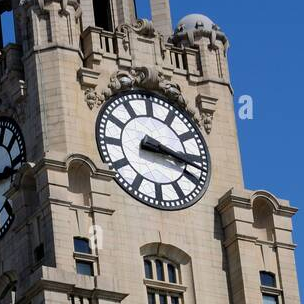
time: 3:17
